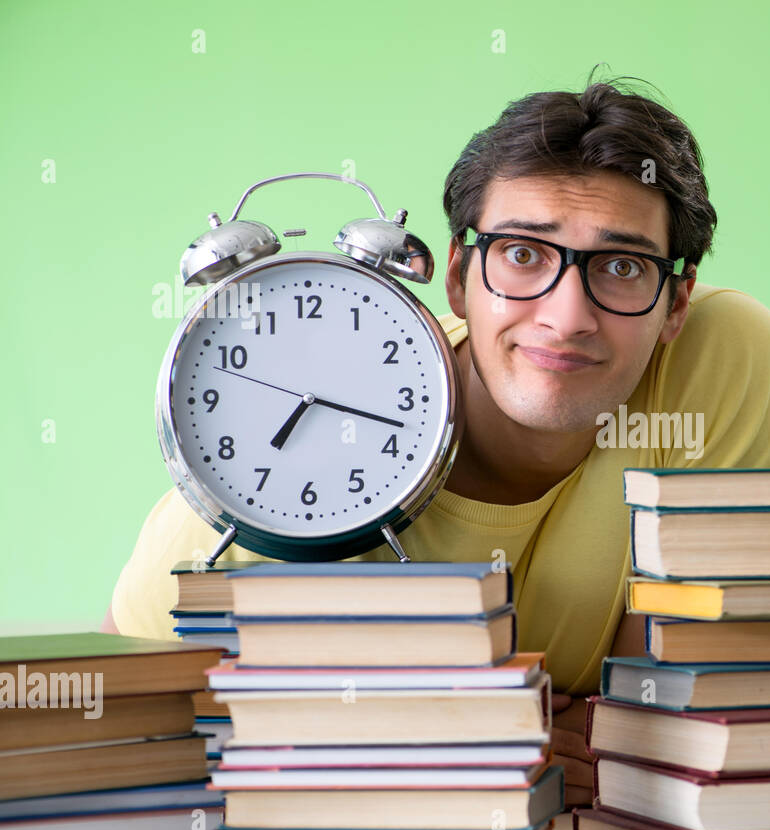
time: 7:17
